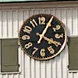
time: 4:04
